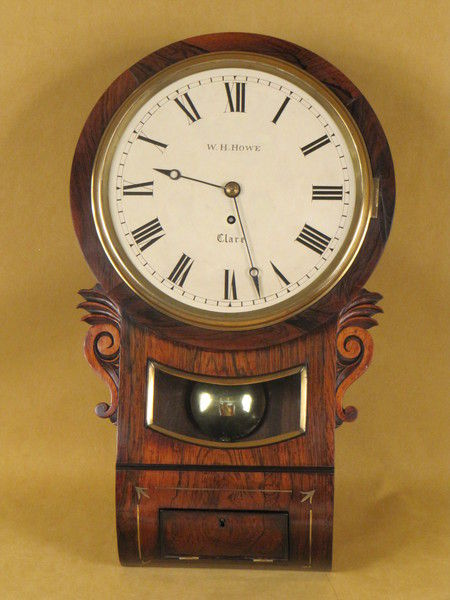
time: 9:27
